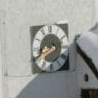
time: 8:40
